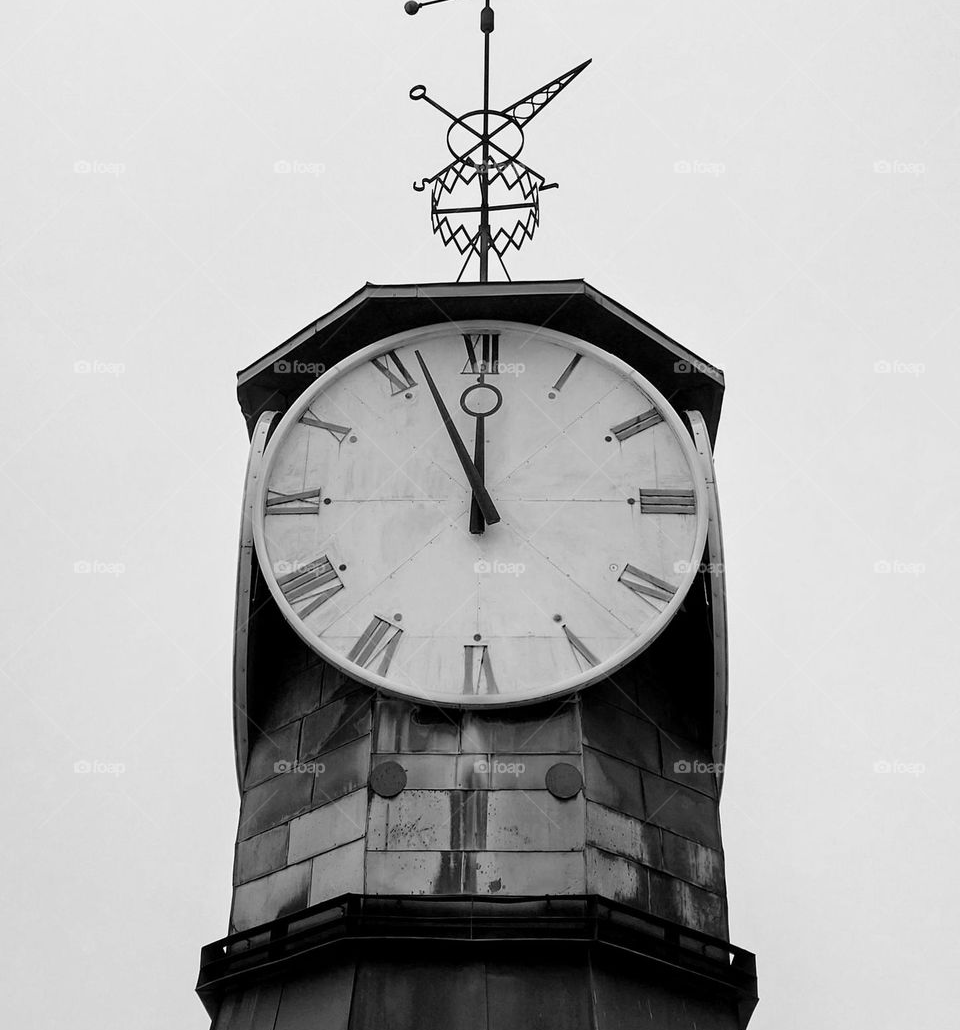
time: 11:56
